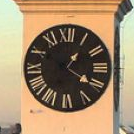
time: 1:20
